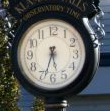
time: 5:33
